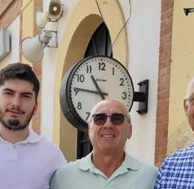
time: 10:45
